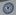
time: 11:07
